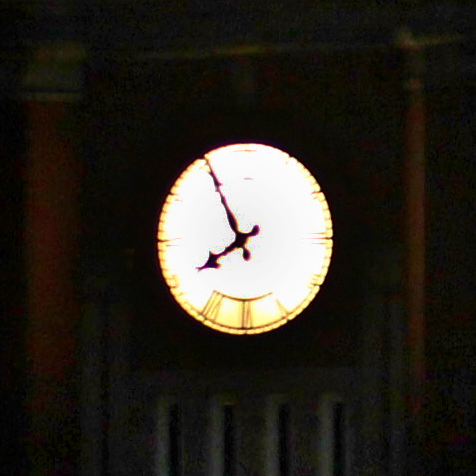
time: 7:55
